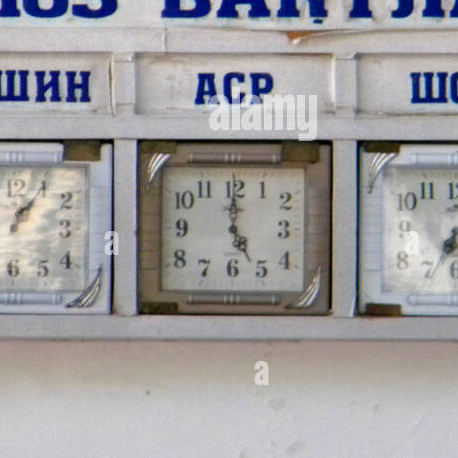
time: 5:00
